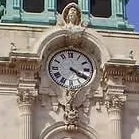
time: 4:19
